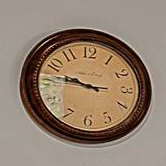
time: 9:46
